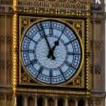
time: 12:56
